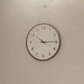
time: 10:14
